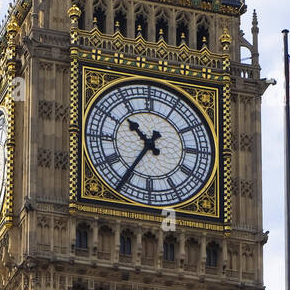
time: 10:35
